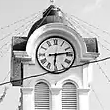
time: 6:13
